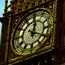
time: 12:19
